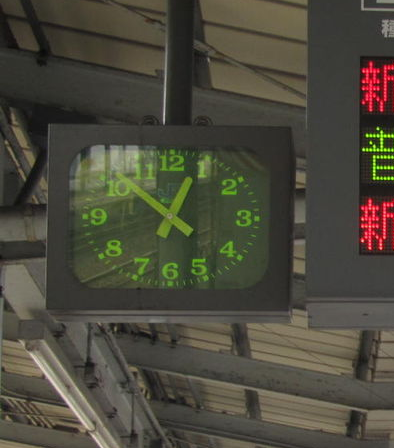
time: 12:52
